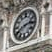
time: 2:40
